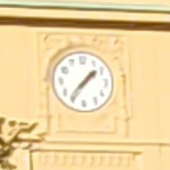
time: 1:36
